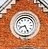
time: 8:26
